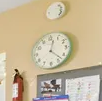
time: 12:22
